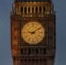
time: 9:09
